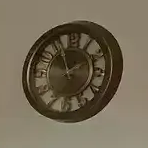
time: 1:56
